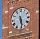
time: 5:28
